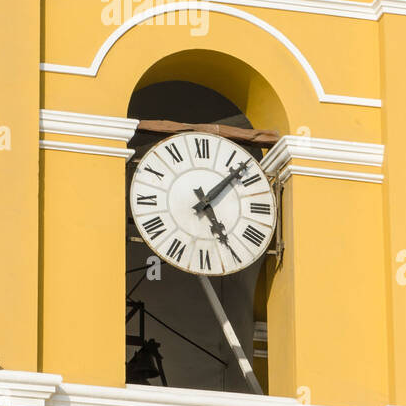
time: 5:07
